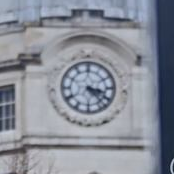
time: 3:22
